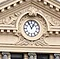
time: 12:55
